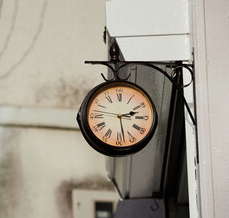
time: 2:27
